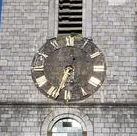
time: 12:33
